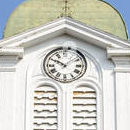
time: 10:07
